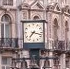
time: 7:17
